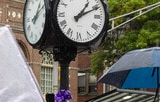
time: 1:10
